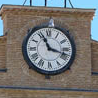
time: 11:18
